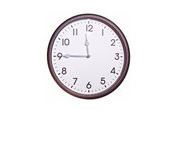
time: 11:45
